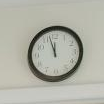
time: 11:57
